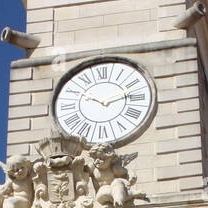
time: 10:13
